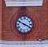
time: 3:49
